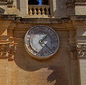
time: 1:22
